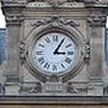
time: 3:04
